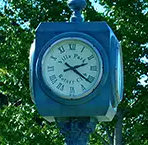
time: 2:21
